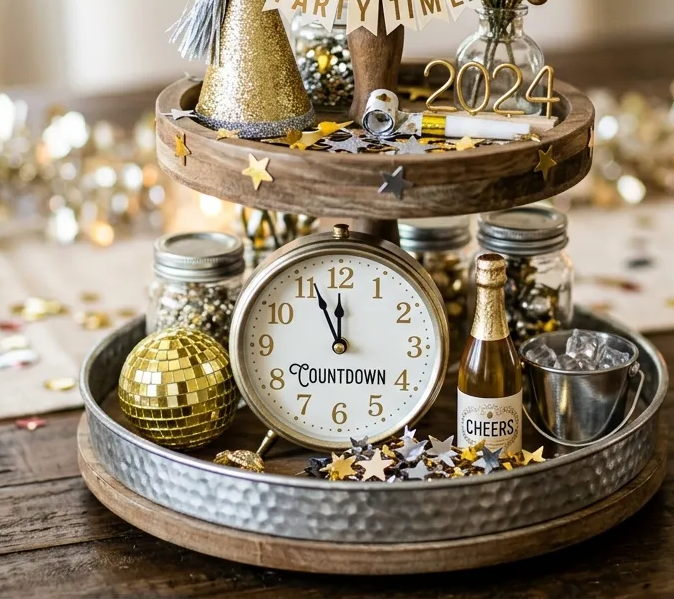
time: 11:56
